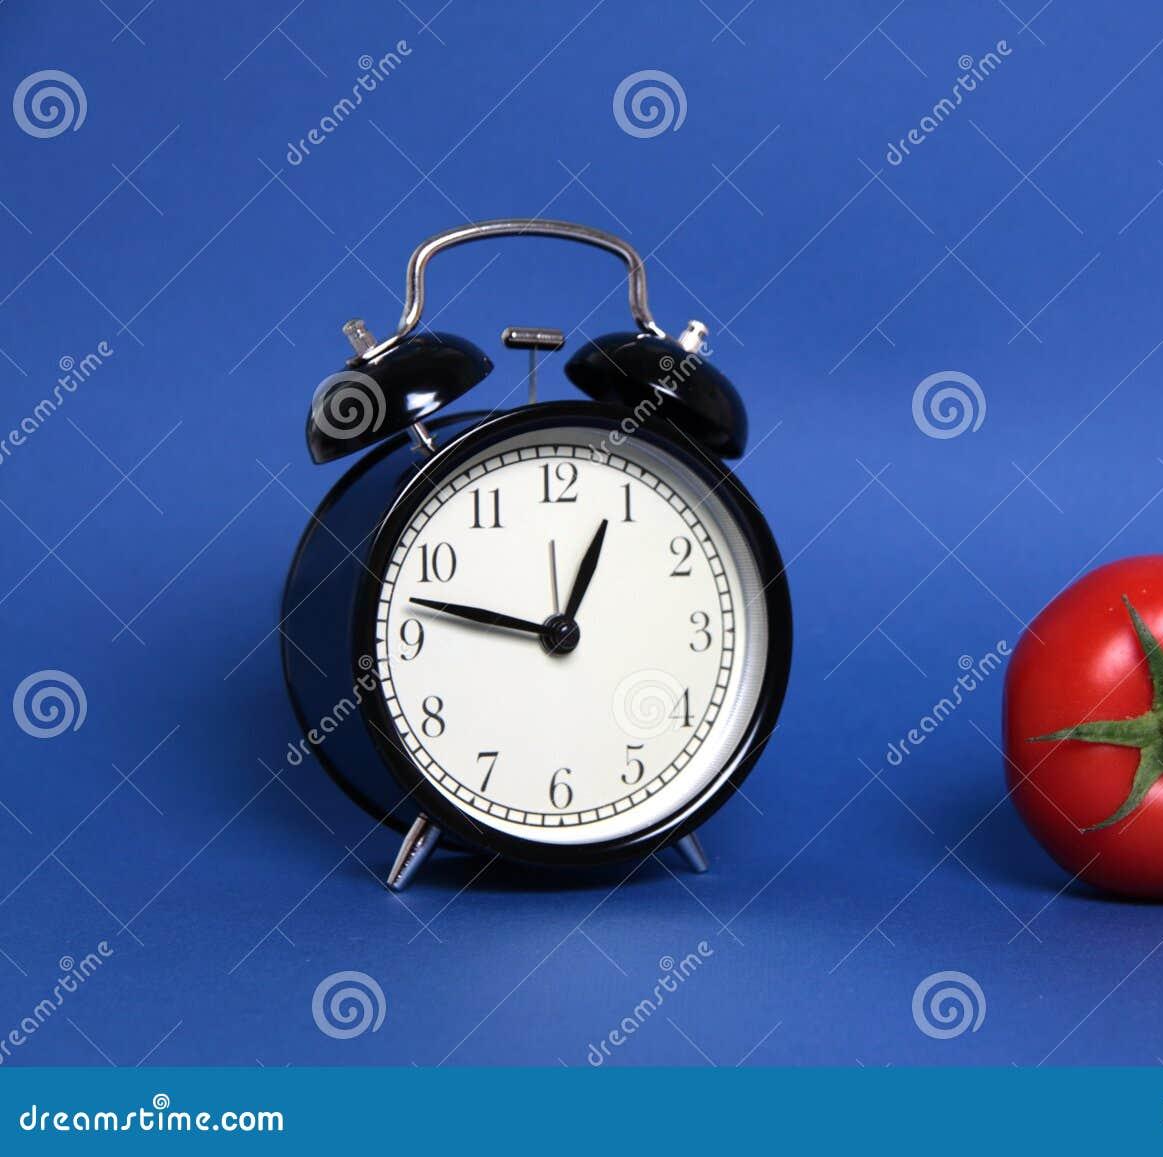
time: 12:47
